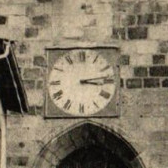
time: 3:13
